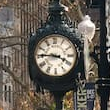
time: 3:45
